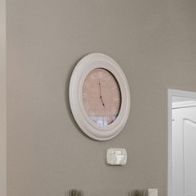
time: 4:59
